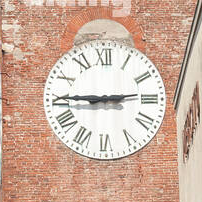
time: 2:45
